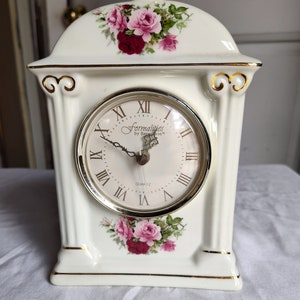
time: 12:49
